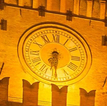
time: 6:30
